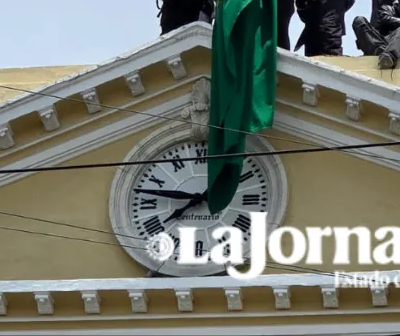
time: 7:47
